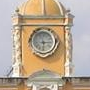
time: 6:14
